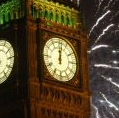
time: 12:01
